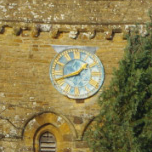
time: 1:42
